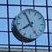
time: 7:55
